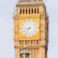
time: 8:35
